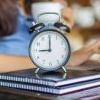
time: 9:00
